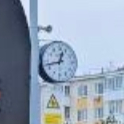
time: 12:42
